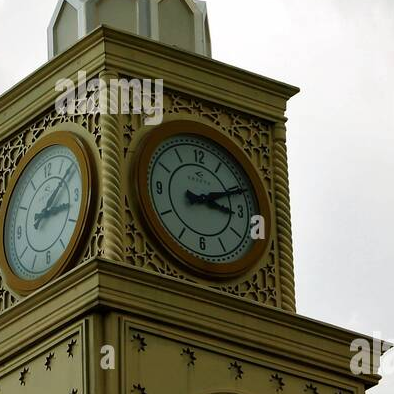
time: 3:11
